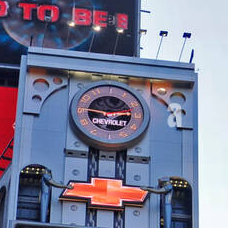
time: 2:45
